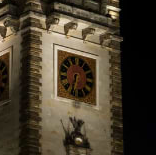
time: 6:32
